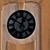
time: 12:49
